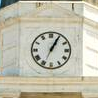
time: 1:04
